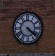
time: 4:21
